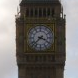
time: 3:37
